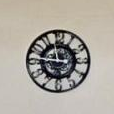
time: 11:46
